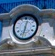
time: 12:32
